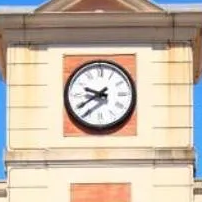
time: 9:39
